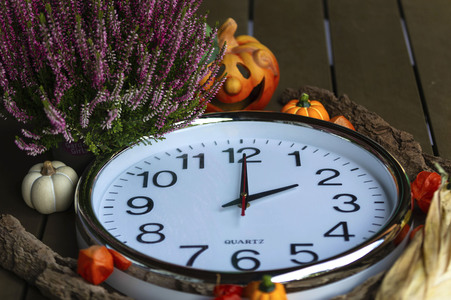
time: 2:00
